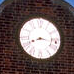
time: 8:16
